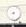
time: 8:32
